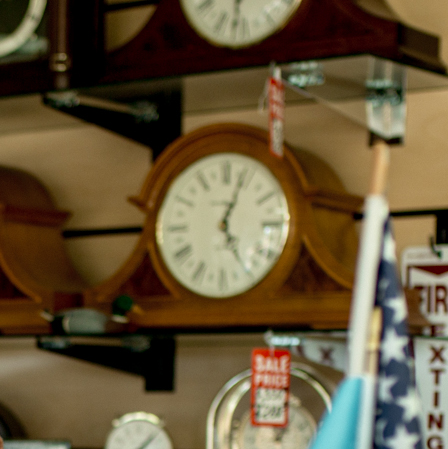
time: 5:03
